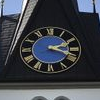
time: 2:18
